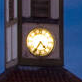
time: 4:35
